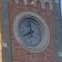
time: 7:58
